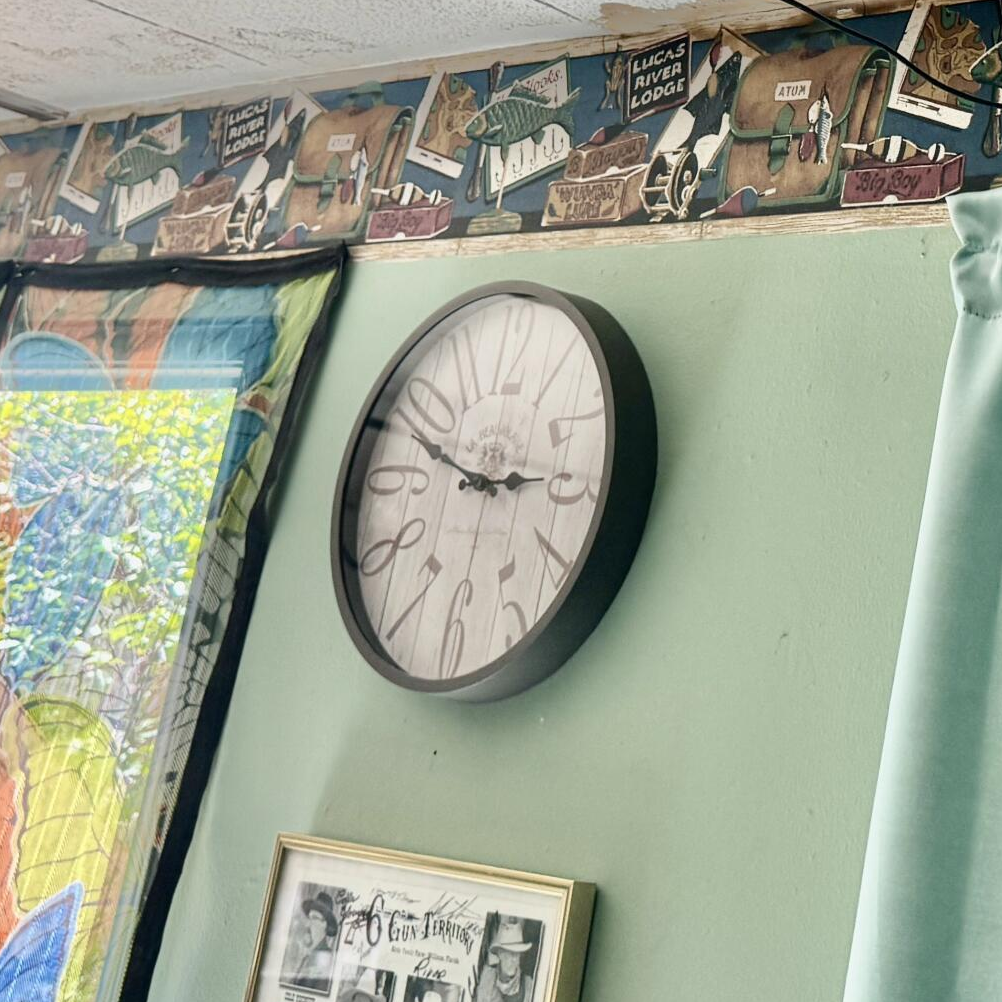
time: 2:48
